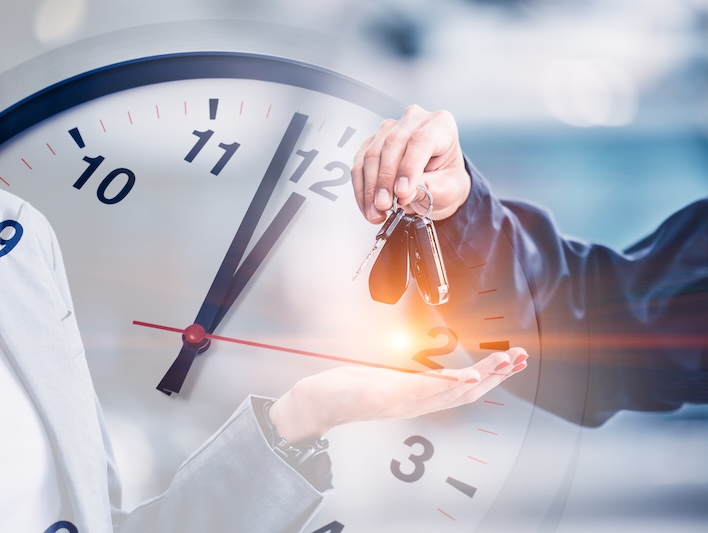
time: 1:03
